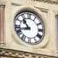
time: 10:42
